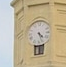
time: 4:26
